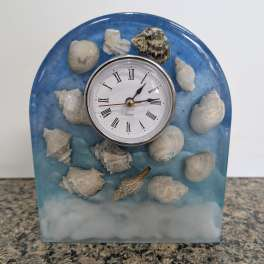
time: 1:13
